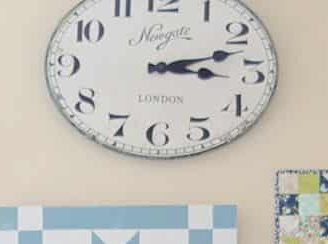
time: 3:12
